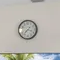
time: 7:18
